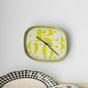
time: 10:22
